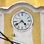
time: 4:39
